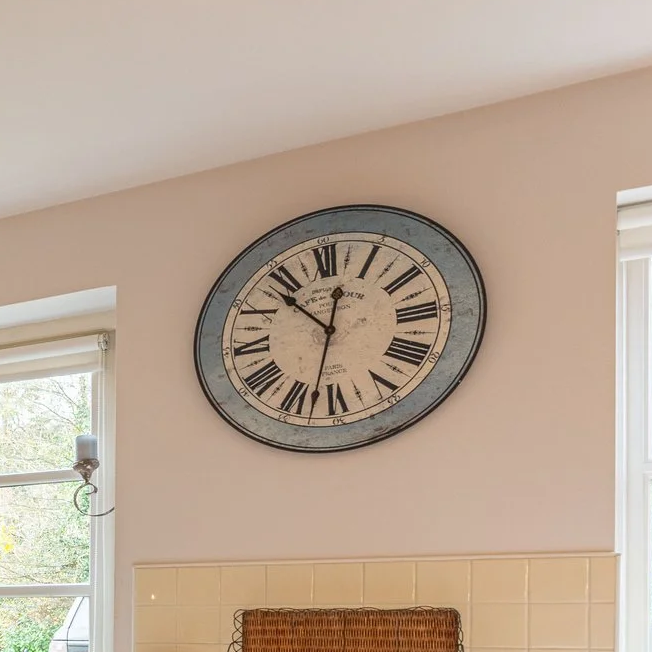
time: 10:32
